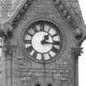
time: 1:16
